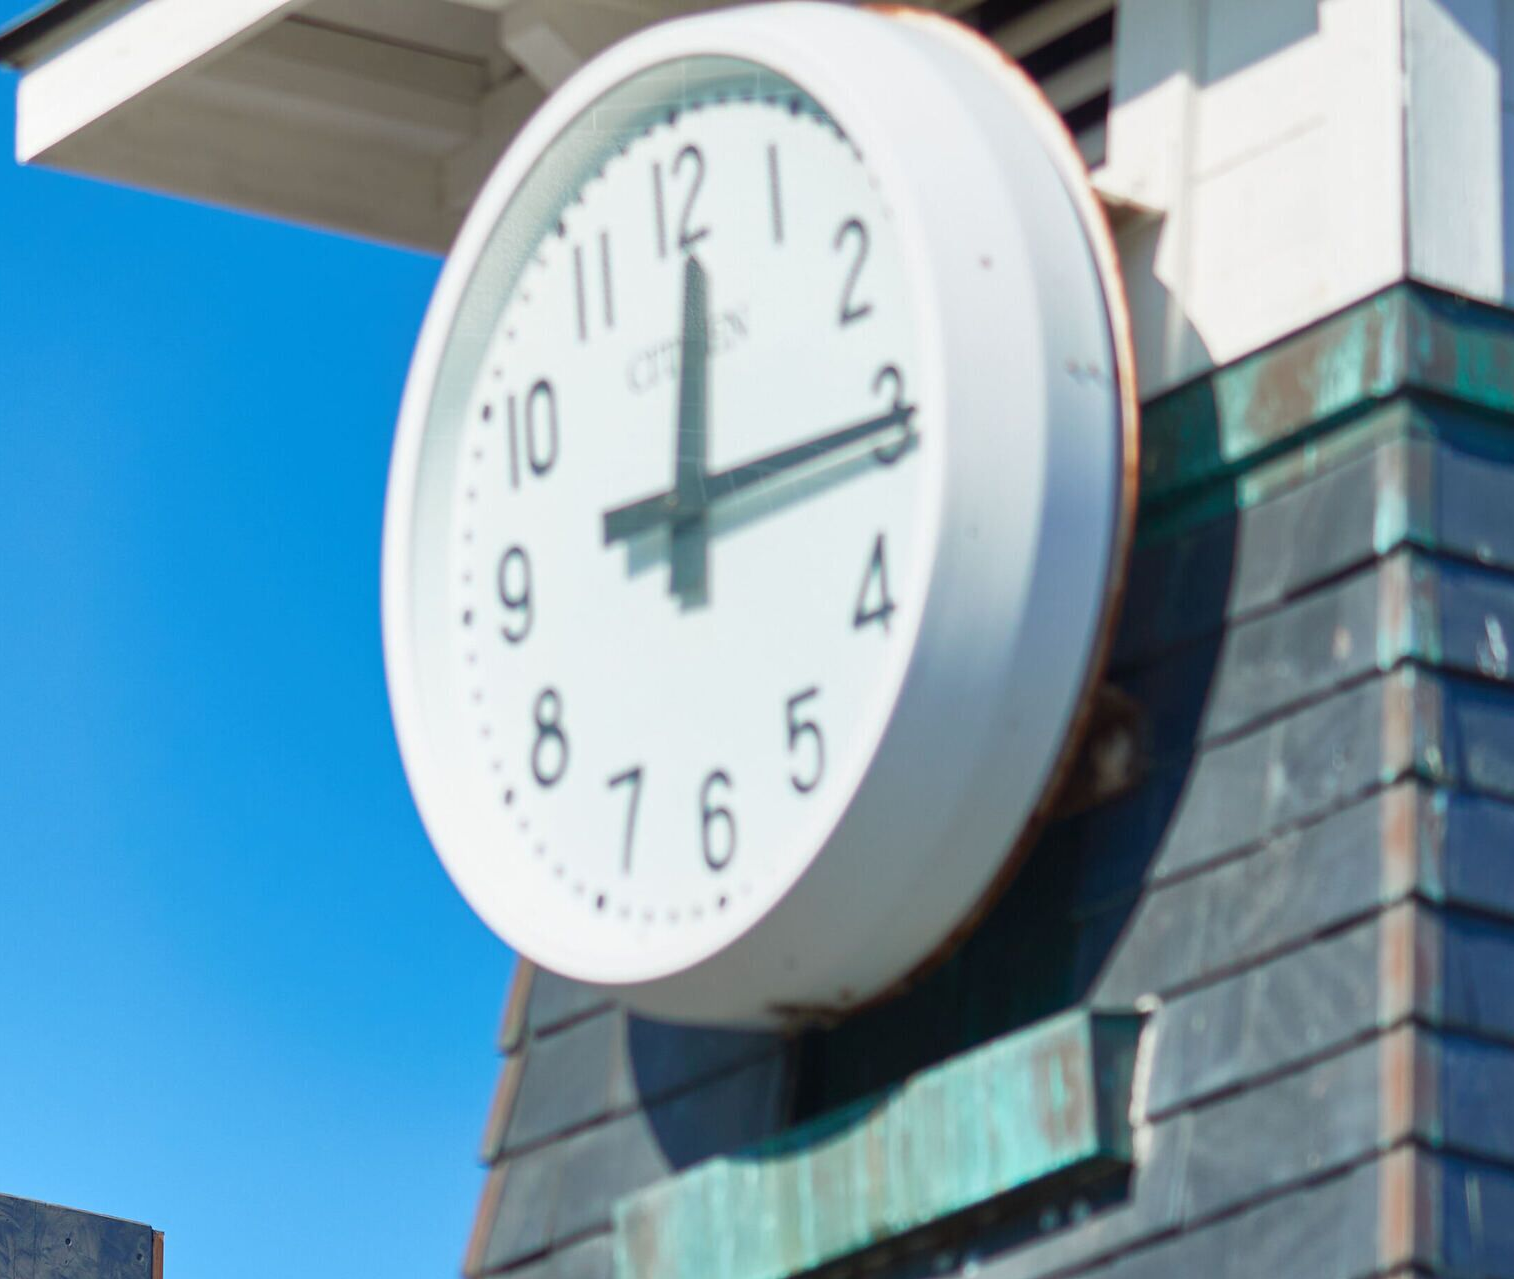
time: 12:15
